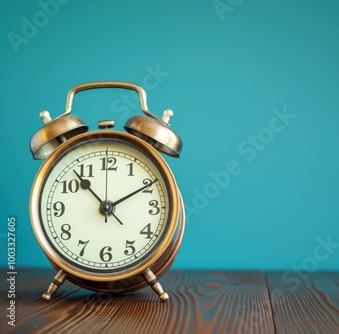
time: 1:53
